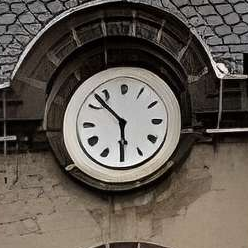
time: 5:52
